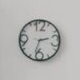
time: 2:32
